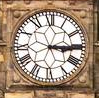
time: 3:14
